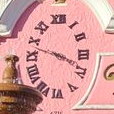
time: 3:47
